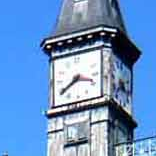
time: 3:39
